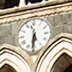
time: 5:31
